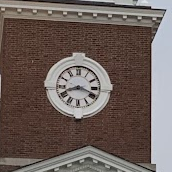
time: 8:18
